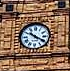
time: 10:19
